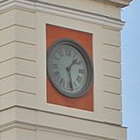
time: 1:28
